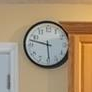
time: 5:47
